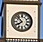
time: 7:52
